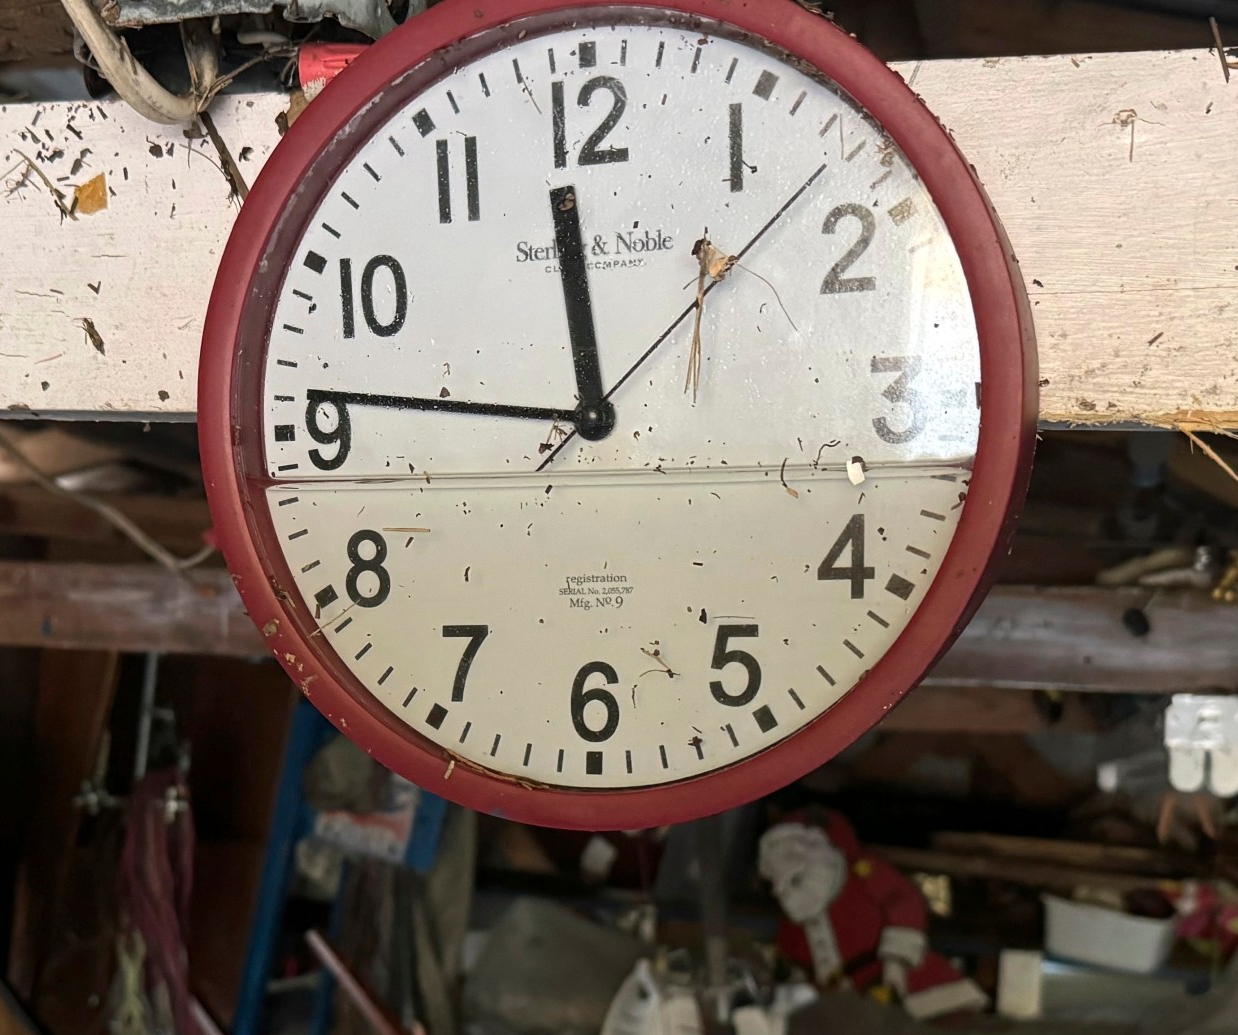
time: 11:46
